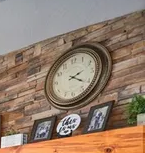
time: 2:21
